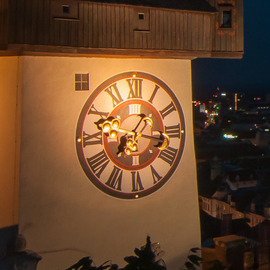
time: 7:16
